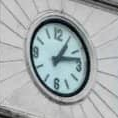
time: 1:12
